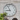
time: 8:56
